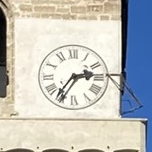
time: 2:36
